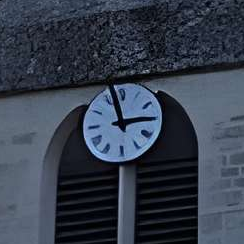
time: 2:57
